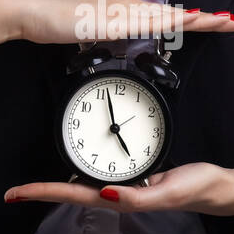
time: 4:57
